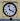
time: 3:58
